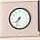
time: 7:33
